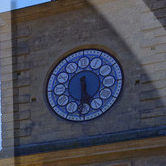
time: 5:31
